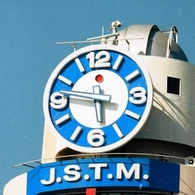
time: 5:46
